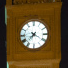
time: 7:20
